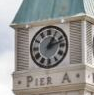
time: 1:12
